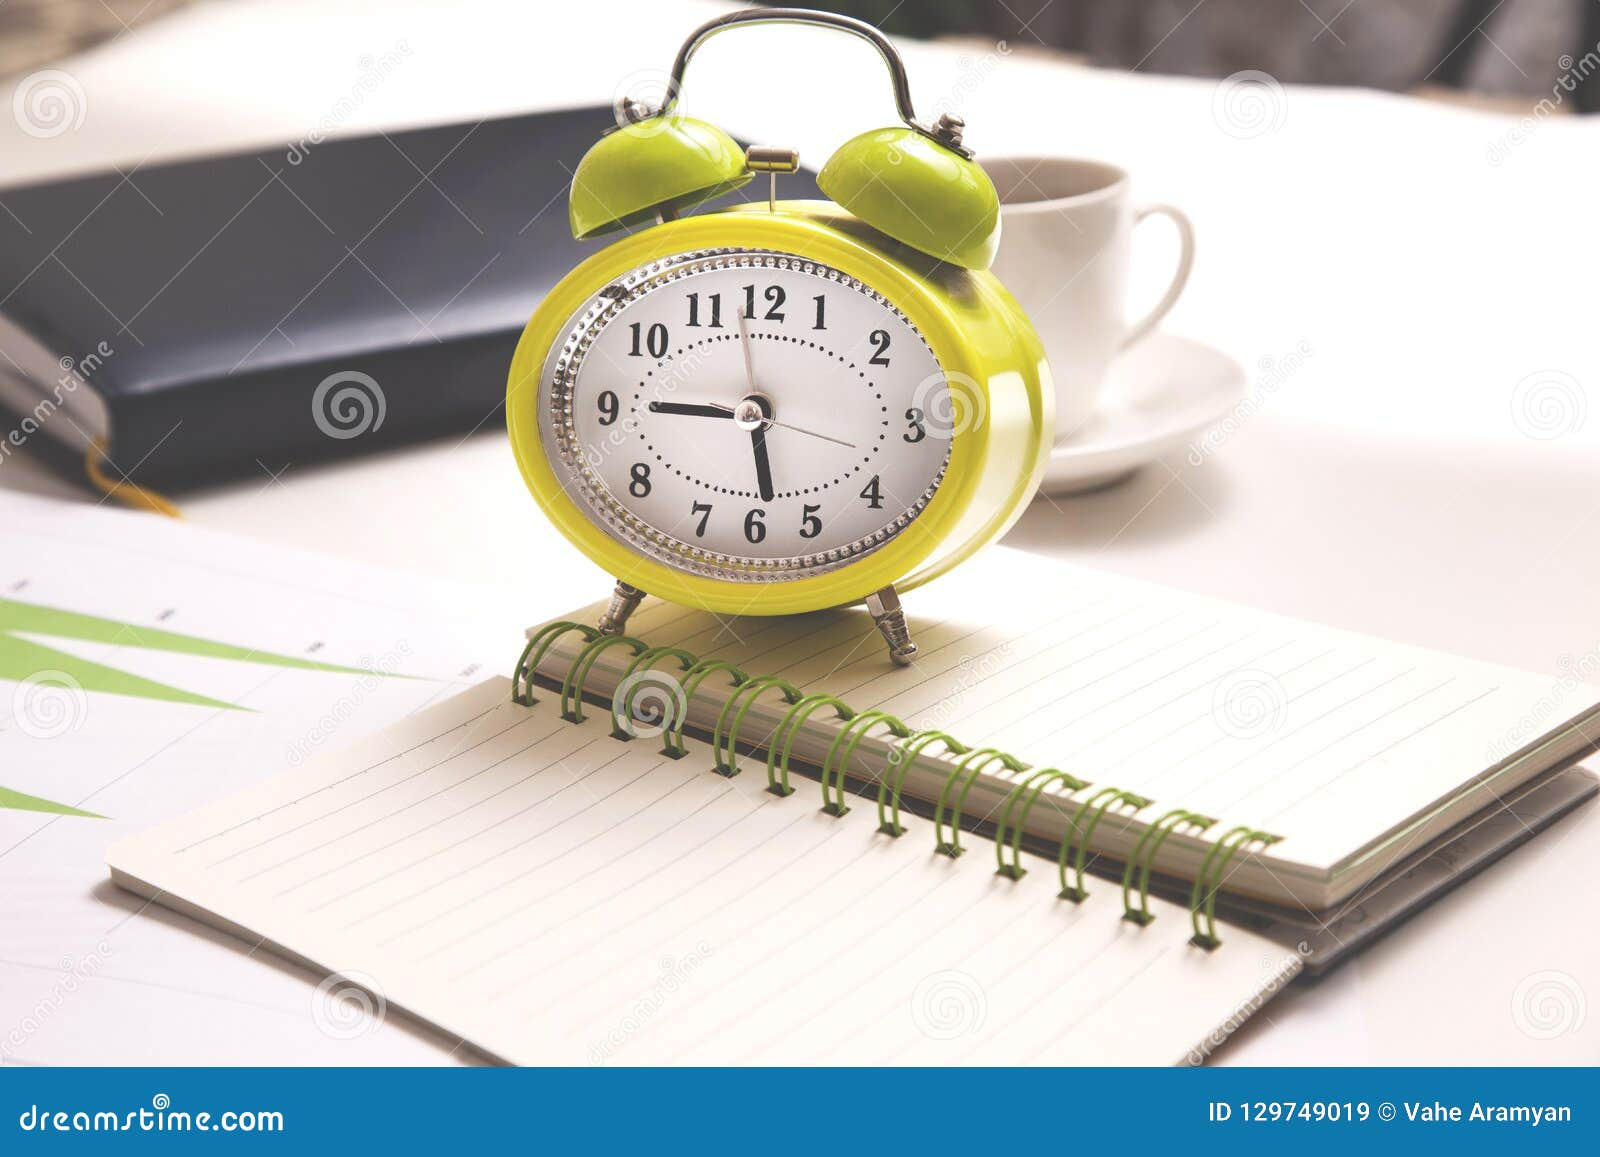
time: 5:45
